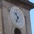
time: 10:34
